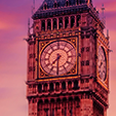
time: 7:30
